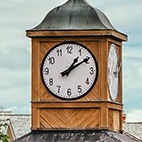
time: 1:09
